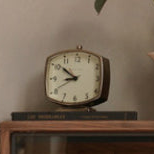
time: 8:51
